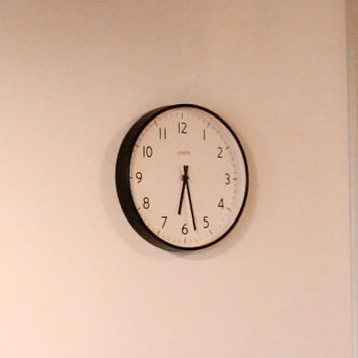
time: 6:27
